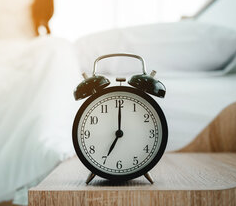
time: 7:00
